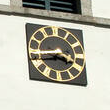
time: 3:43
